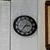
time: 2:36
